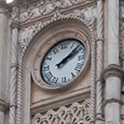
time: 2:09
